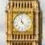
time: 11:21
